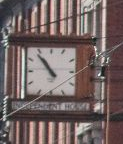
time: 10:53
